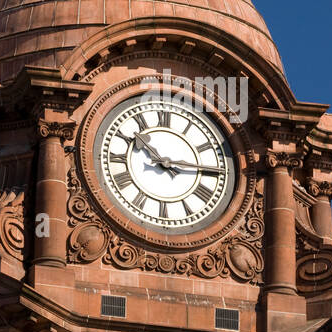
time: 10:15
